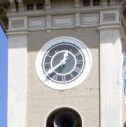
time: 12:38
